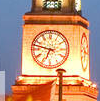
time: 6:47
